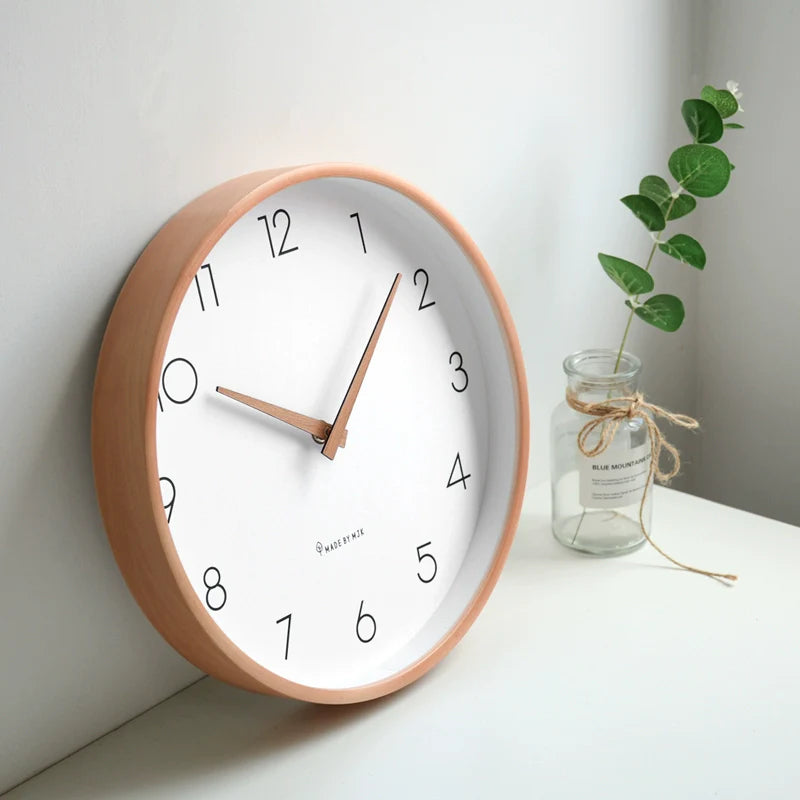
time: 10:07
